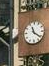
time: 11:21
